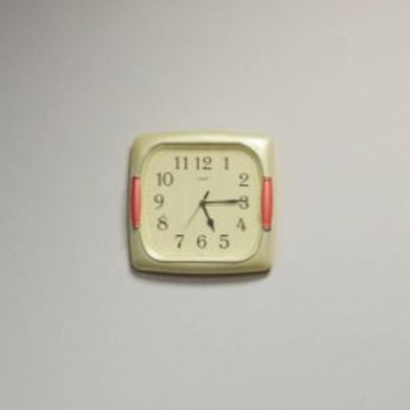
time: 5:14
